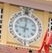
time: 9:01
